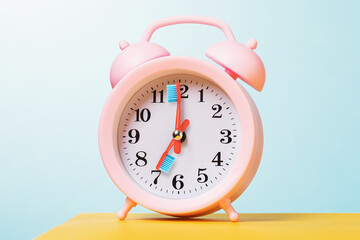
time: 6:59
